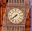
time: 7:38
